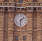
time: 1:30
